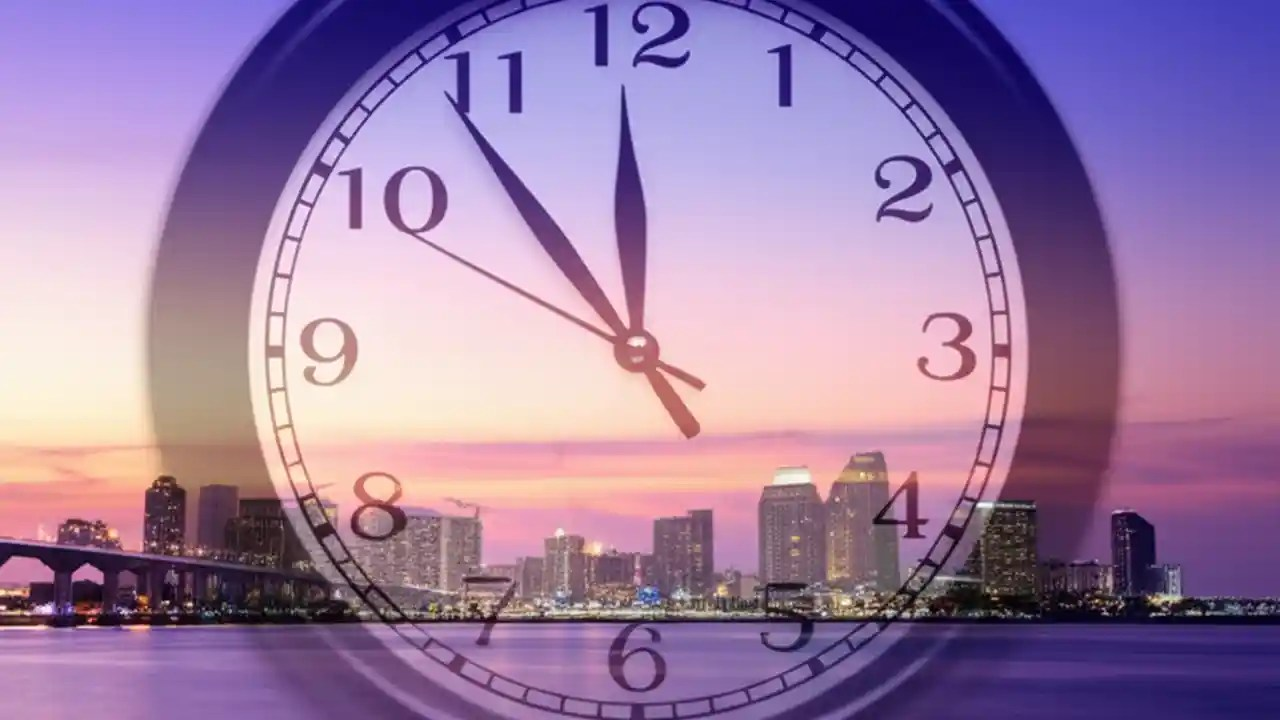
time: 11:53
